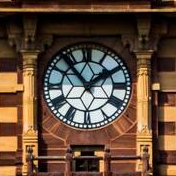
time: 1:53
